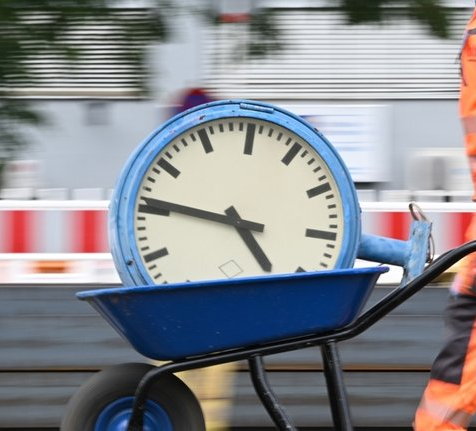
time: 4:46
